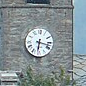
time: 6:17
